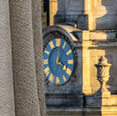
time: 4:01
